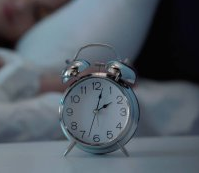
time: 2:02
